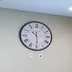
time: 10:29
